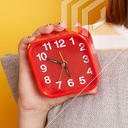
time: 5:49
